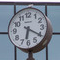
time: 6:20
